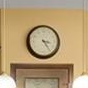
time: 3:24
